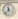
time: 11:37
